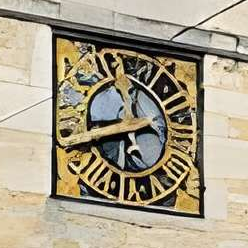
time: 11:41
